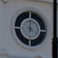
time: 4:00
